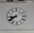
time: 8:39
